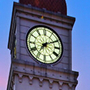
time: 7:10
